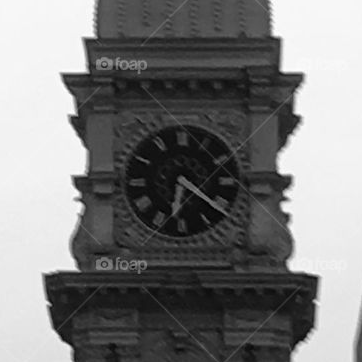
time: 6:21
